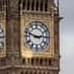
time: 2:48
